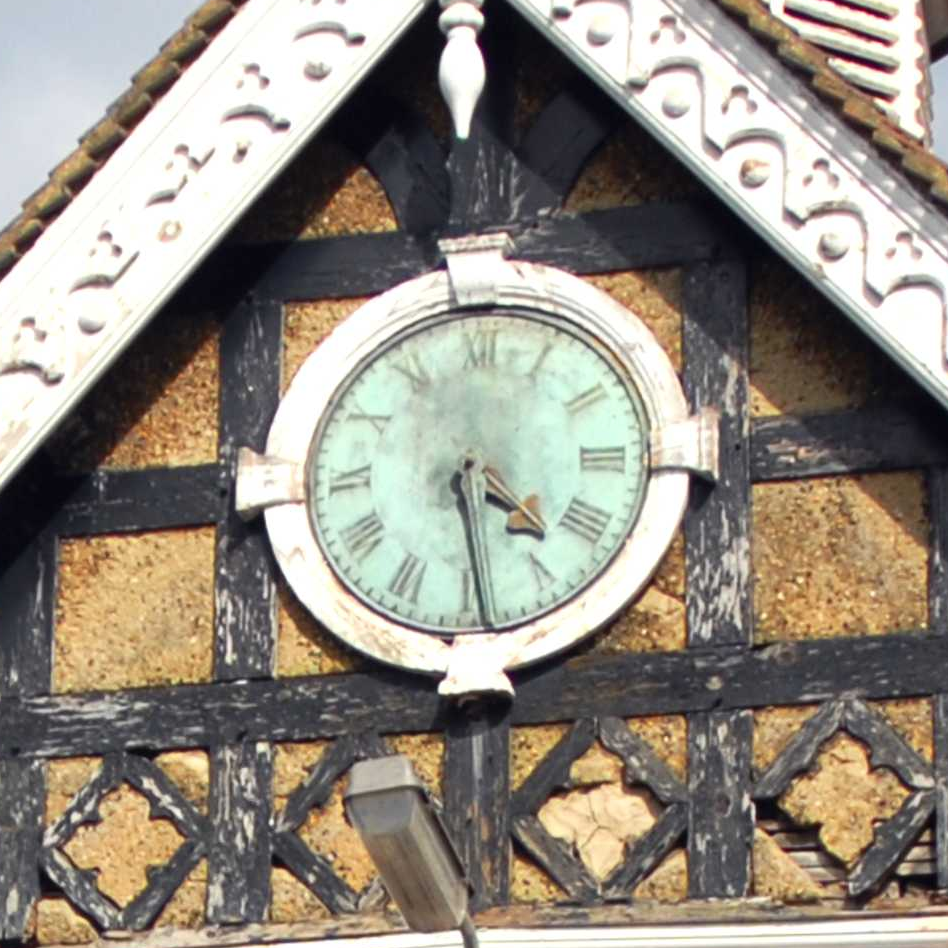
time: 4:28
